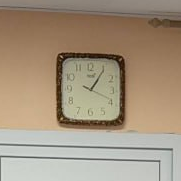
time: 1:05
